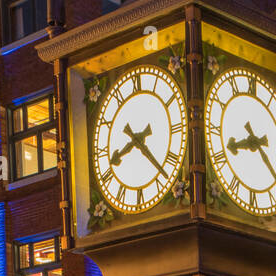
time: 8:22
